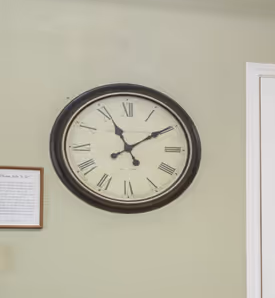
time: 11:09
